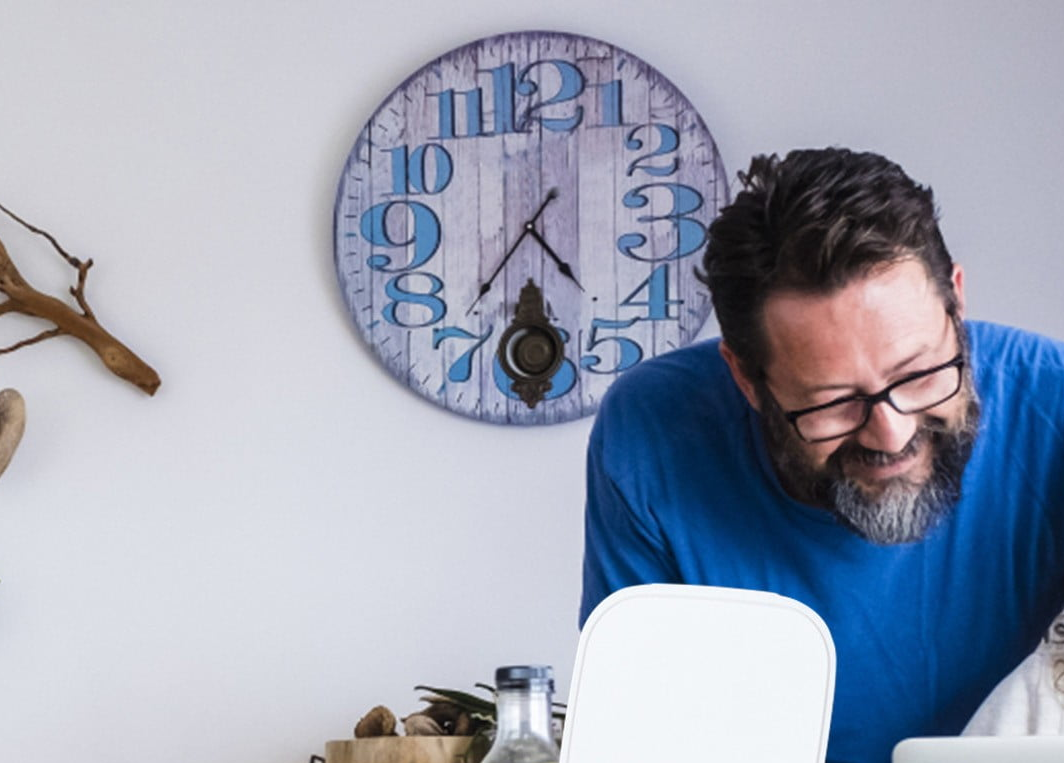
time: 4:36
